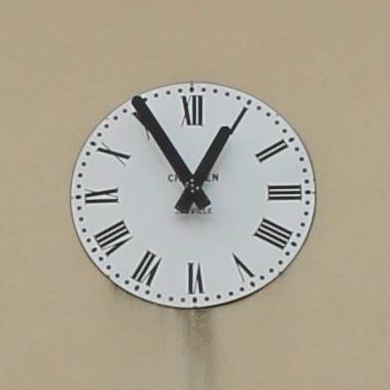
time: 12:54
